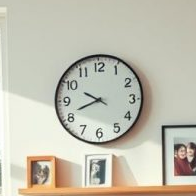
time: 9:41
